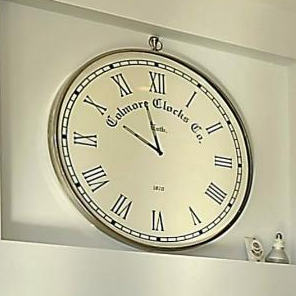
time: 9:57
